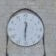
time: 12:30
